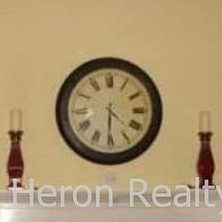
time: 4:30
